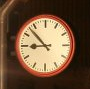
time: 8:52
